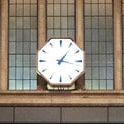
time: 1:16
